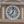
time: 7:01
